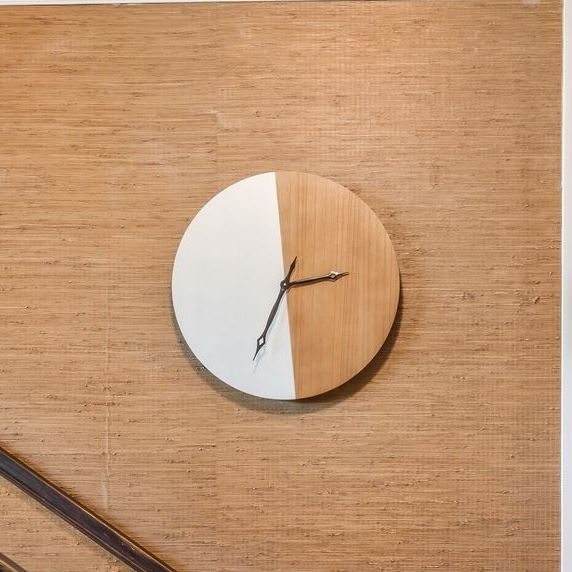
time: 2:34
